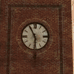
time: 5:55
